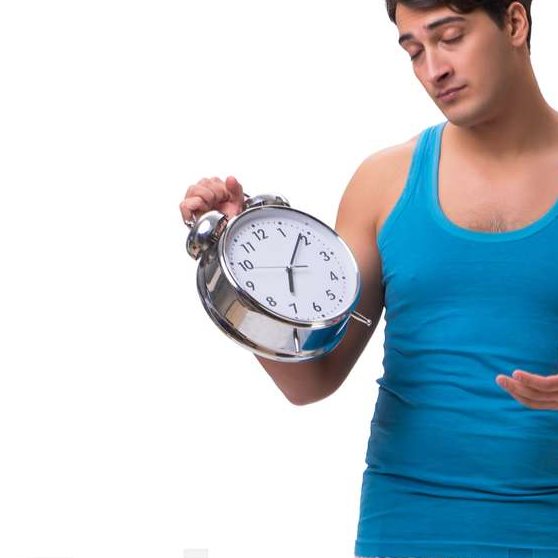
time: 6:03
